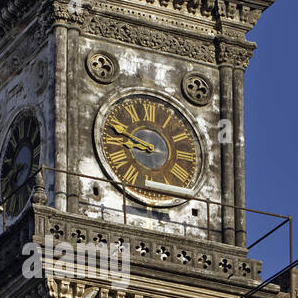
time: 8:48
